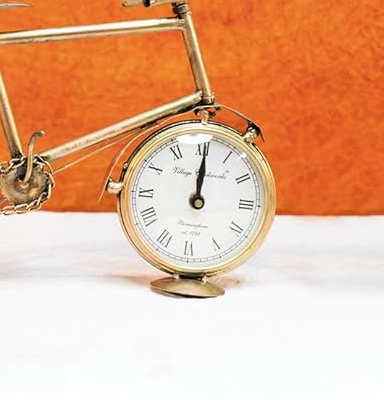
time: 12:00
